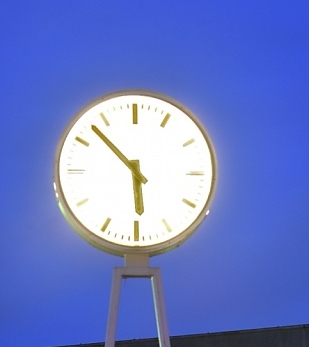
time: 5:52
